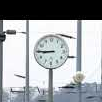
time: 8:45
